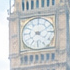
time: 4:10
